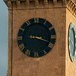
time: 9:18
